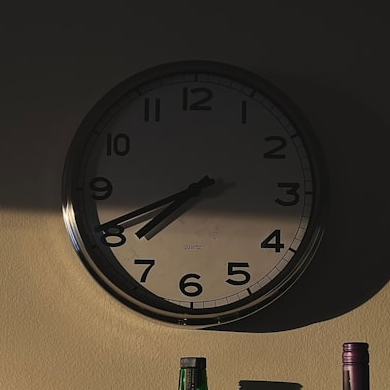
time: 7:41
